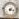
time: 7:17
